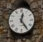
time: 12:24
